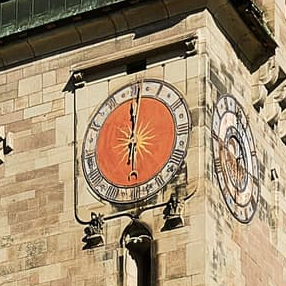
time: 5:59
